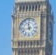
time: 11:42
